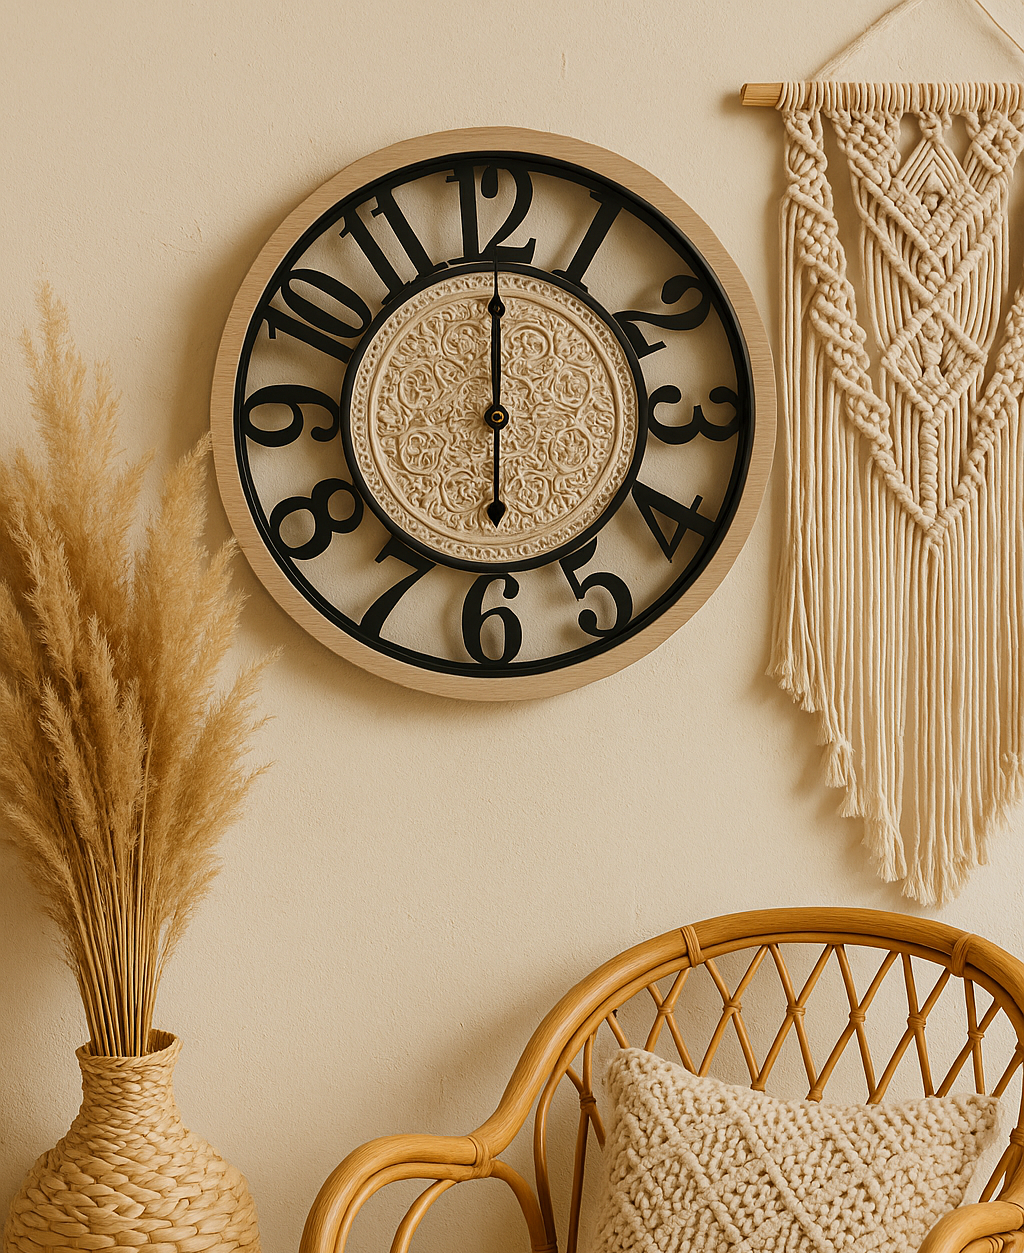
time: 6:00
